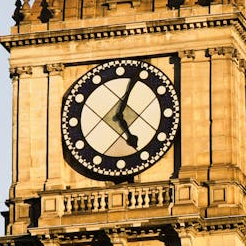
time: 5:03
